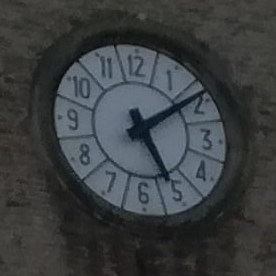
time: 5:09
